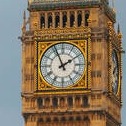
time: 1:56
